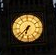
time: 6:37
